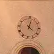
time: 4:02
